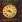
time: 9:22
